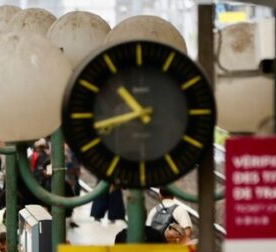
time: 10:42
